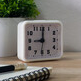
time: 9:00
